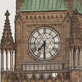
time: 7:30
